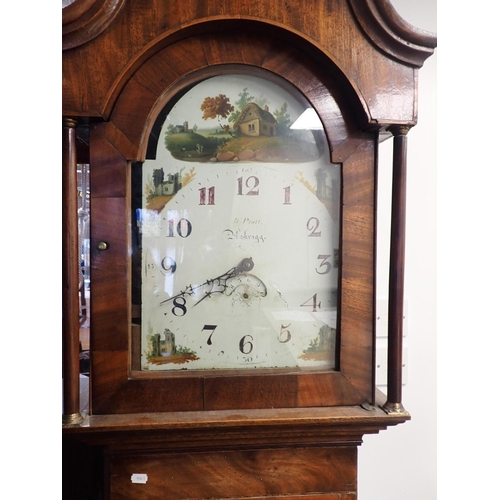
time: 7:40
